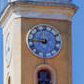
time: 11:45
